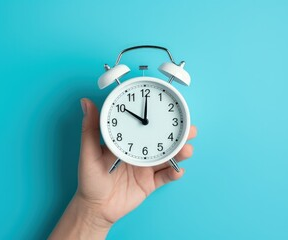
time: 10:00
